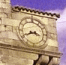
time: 3:40
